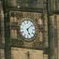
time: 5:08
